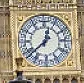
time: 12:38
